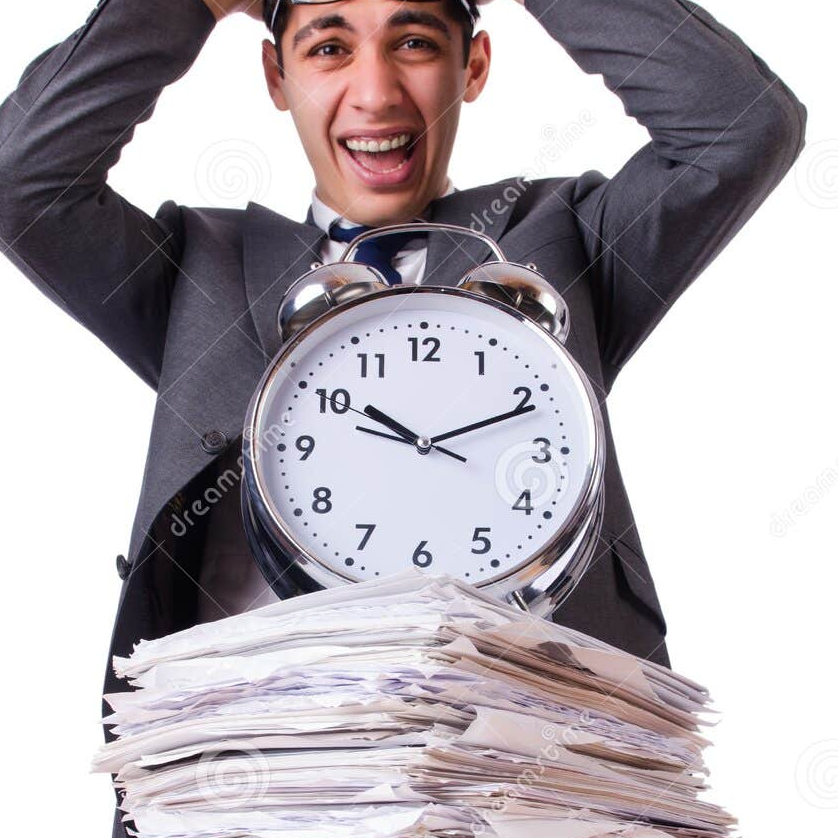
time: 10:11
